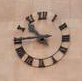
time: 10:44
